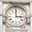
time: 2:59
